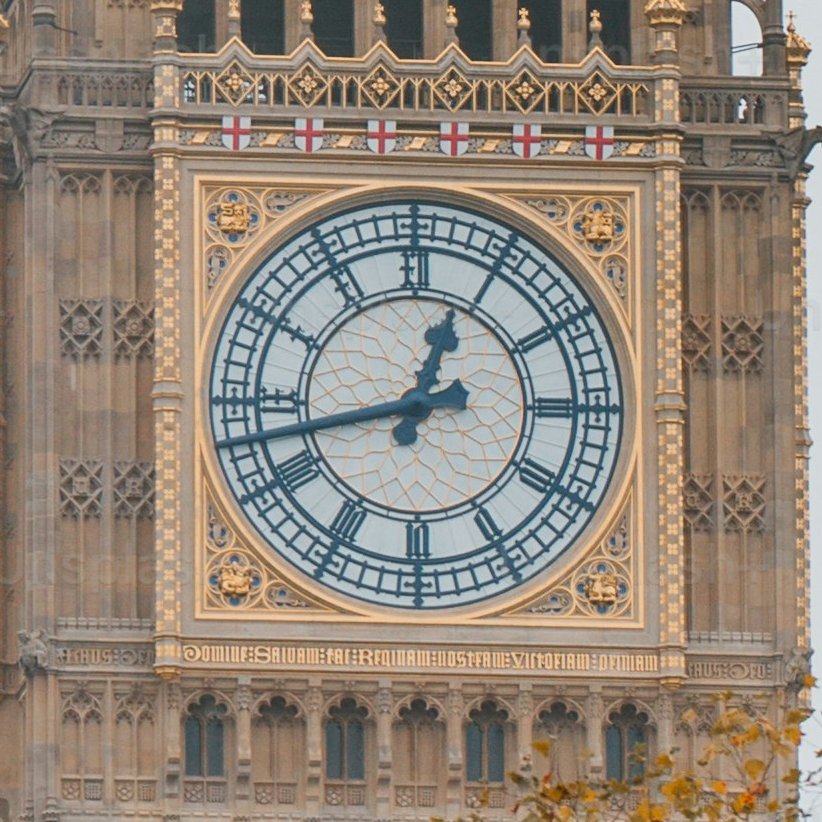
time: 12:42
